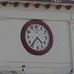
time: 4:36
